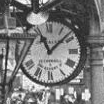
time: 11:07
